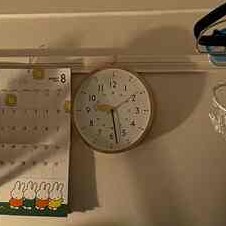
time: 9:28
